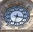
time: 3:32
